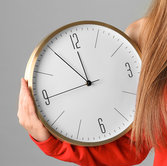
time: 11:54
